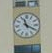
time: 11:19
